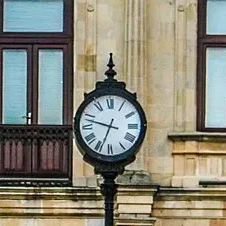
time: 6:47
